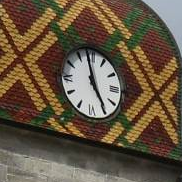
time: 4:58
